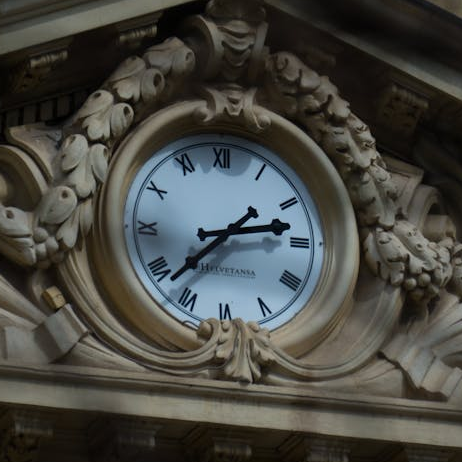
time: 2:38
